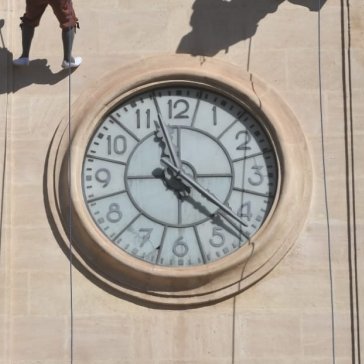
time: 11:21
